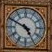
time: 4:49
